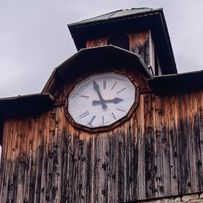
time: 2:56
